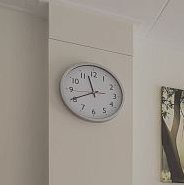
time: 11:40
